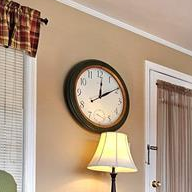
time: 12:09
